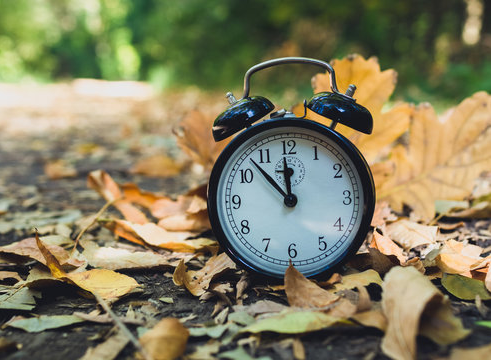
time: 11:53
